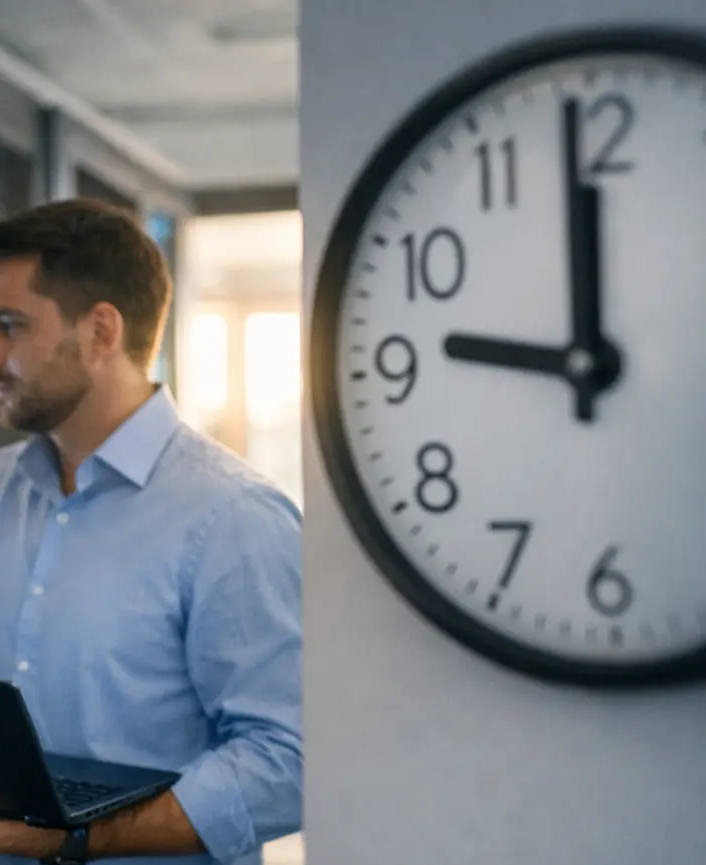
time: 11:46
